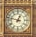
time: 12:47
